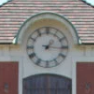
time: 1:16
